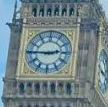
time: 2:45
